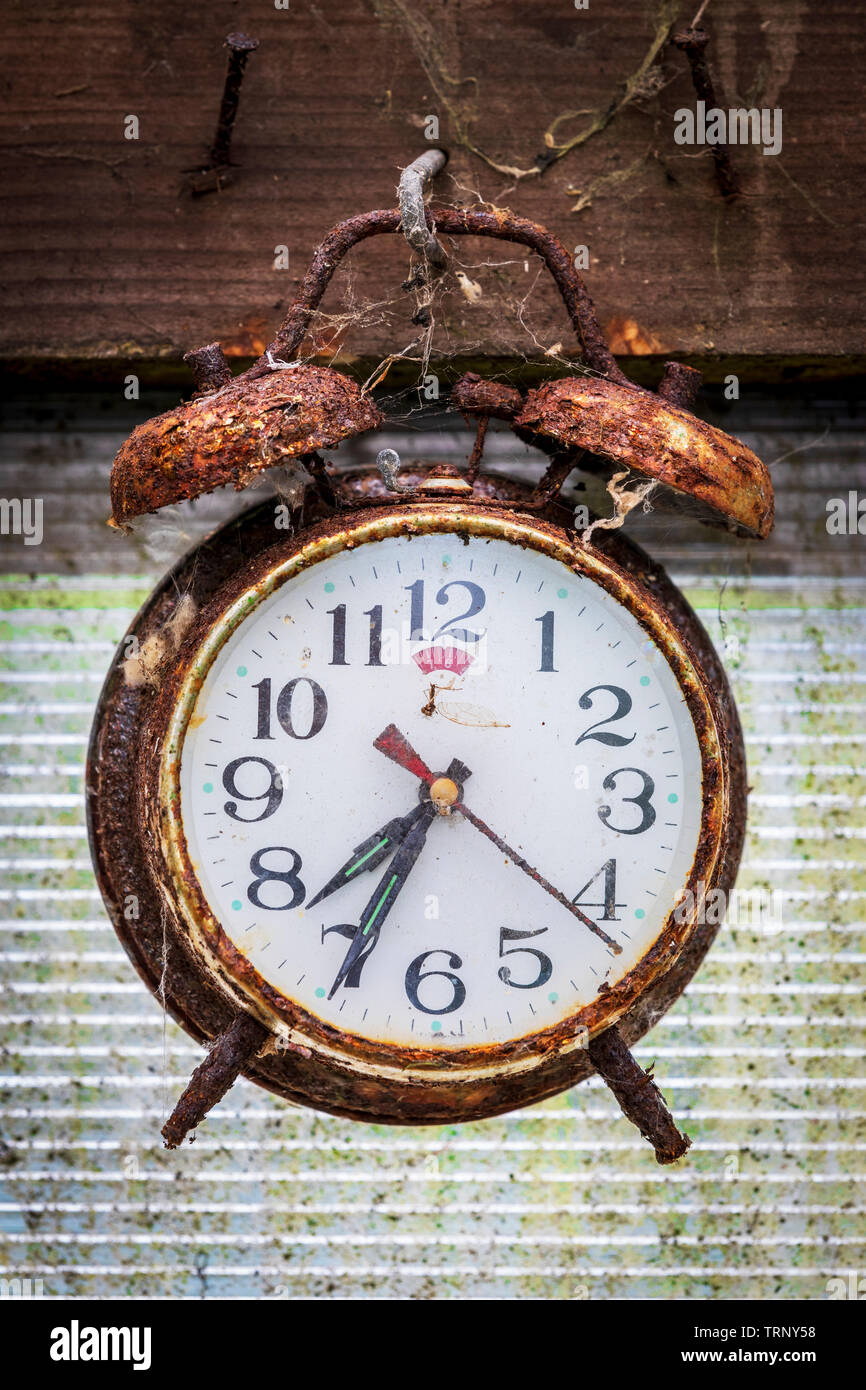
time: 7:34
